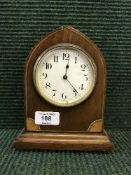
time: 12:23
